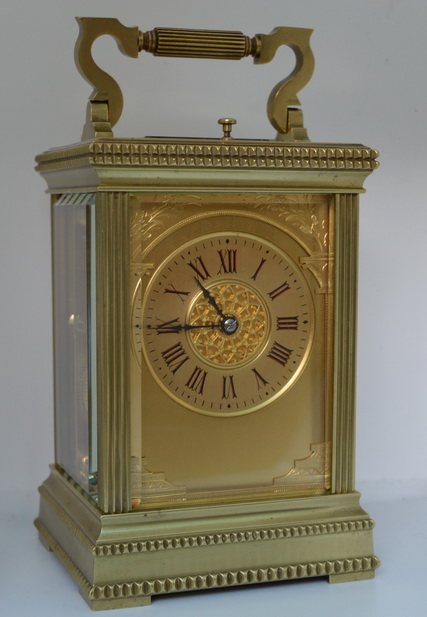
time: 10:45
